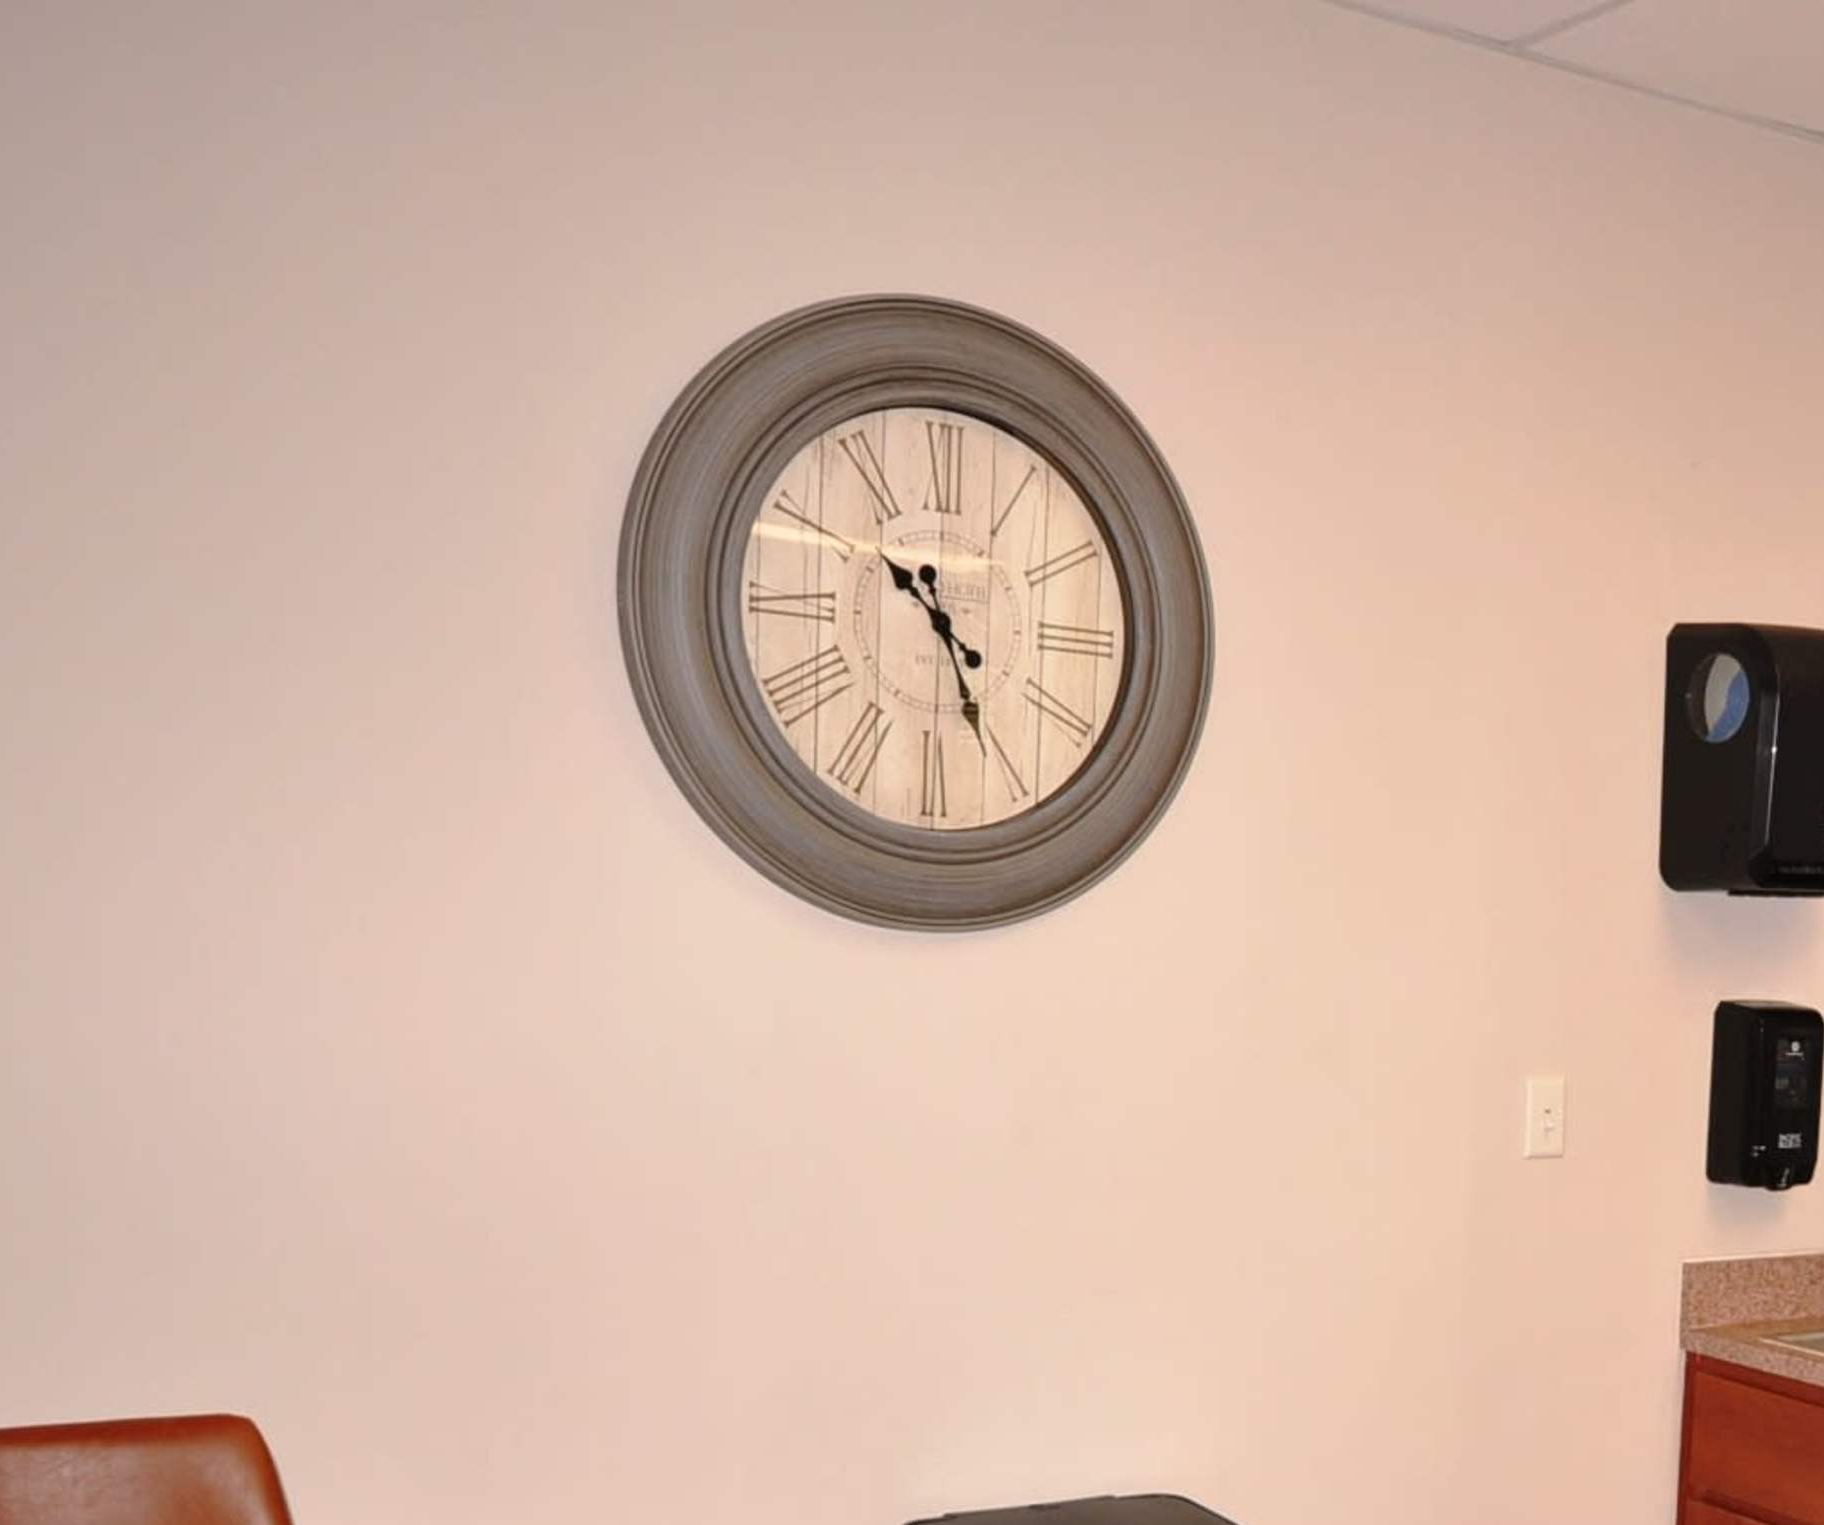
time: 10:25
